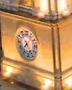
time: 7:24
